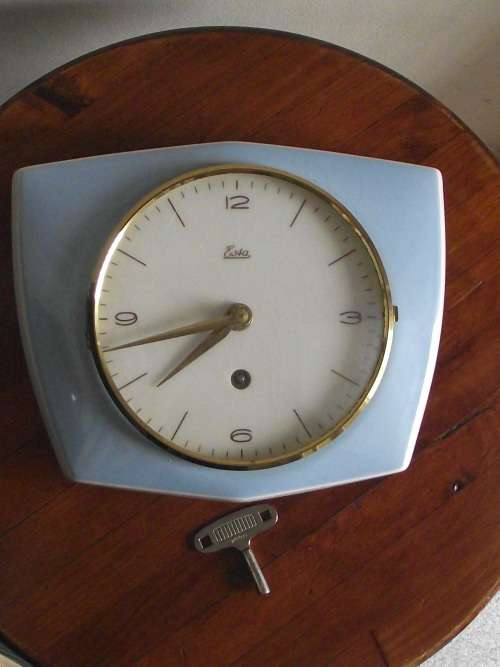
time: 7:42
